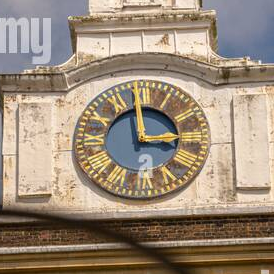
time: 2:59
